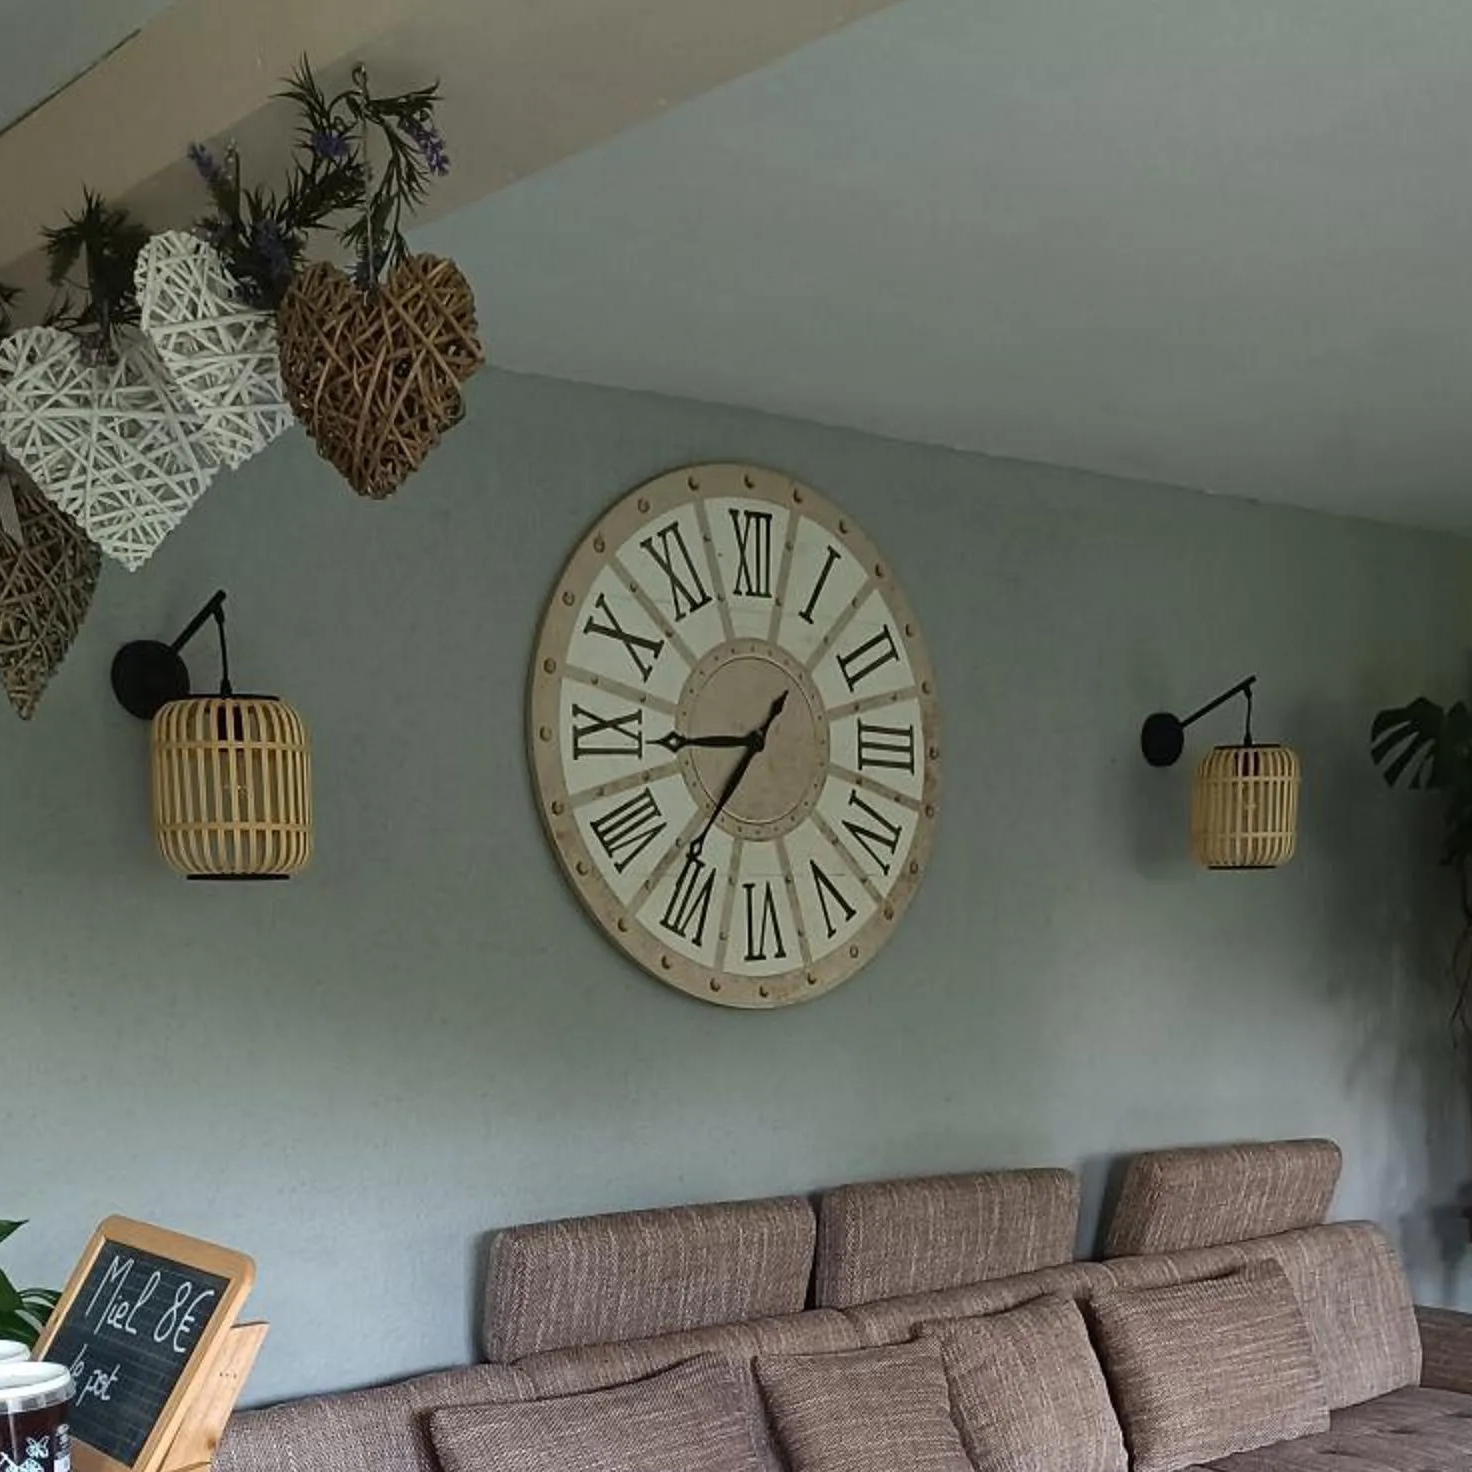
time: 8:36
